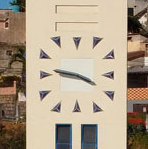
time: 3:46
